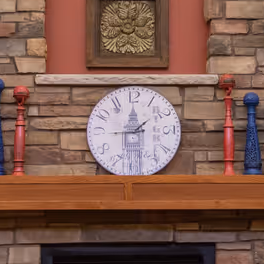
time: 1:44
